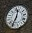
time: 12:34
